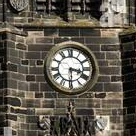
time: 3:29
